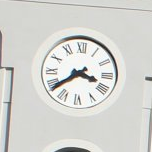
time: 3:38
